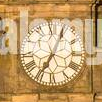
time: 7:04
